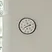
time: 2:40
